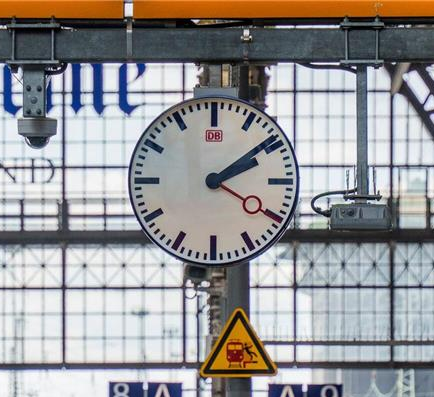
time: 2:09
